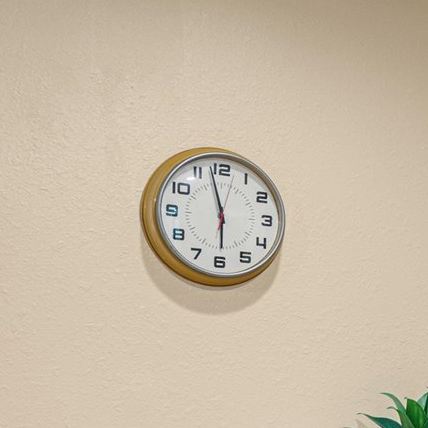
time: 5:57
